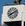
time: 8:11
